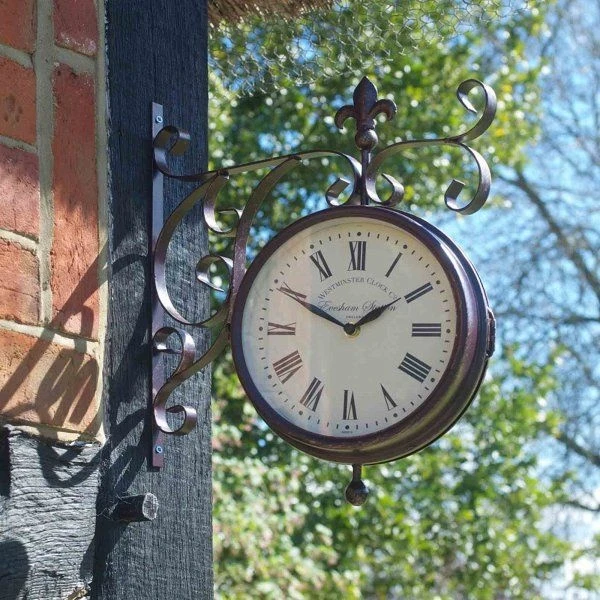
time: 1:49
